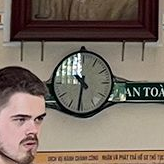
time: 10:31
